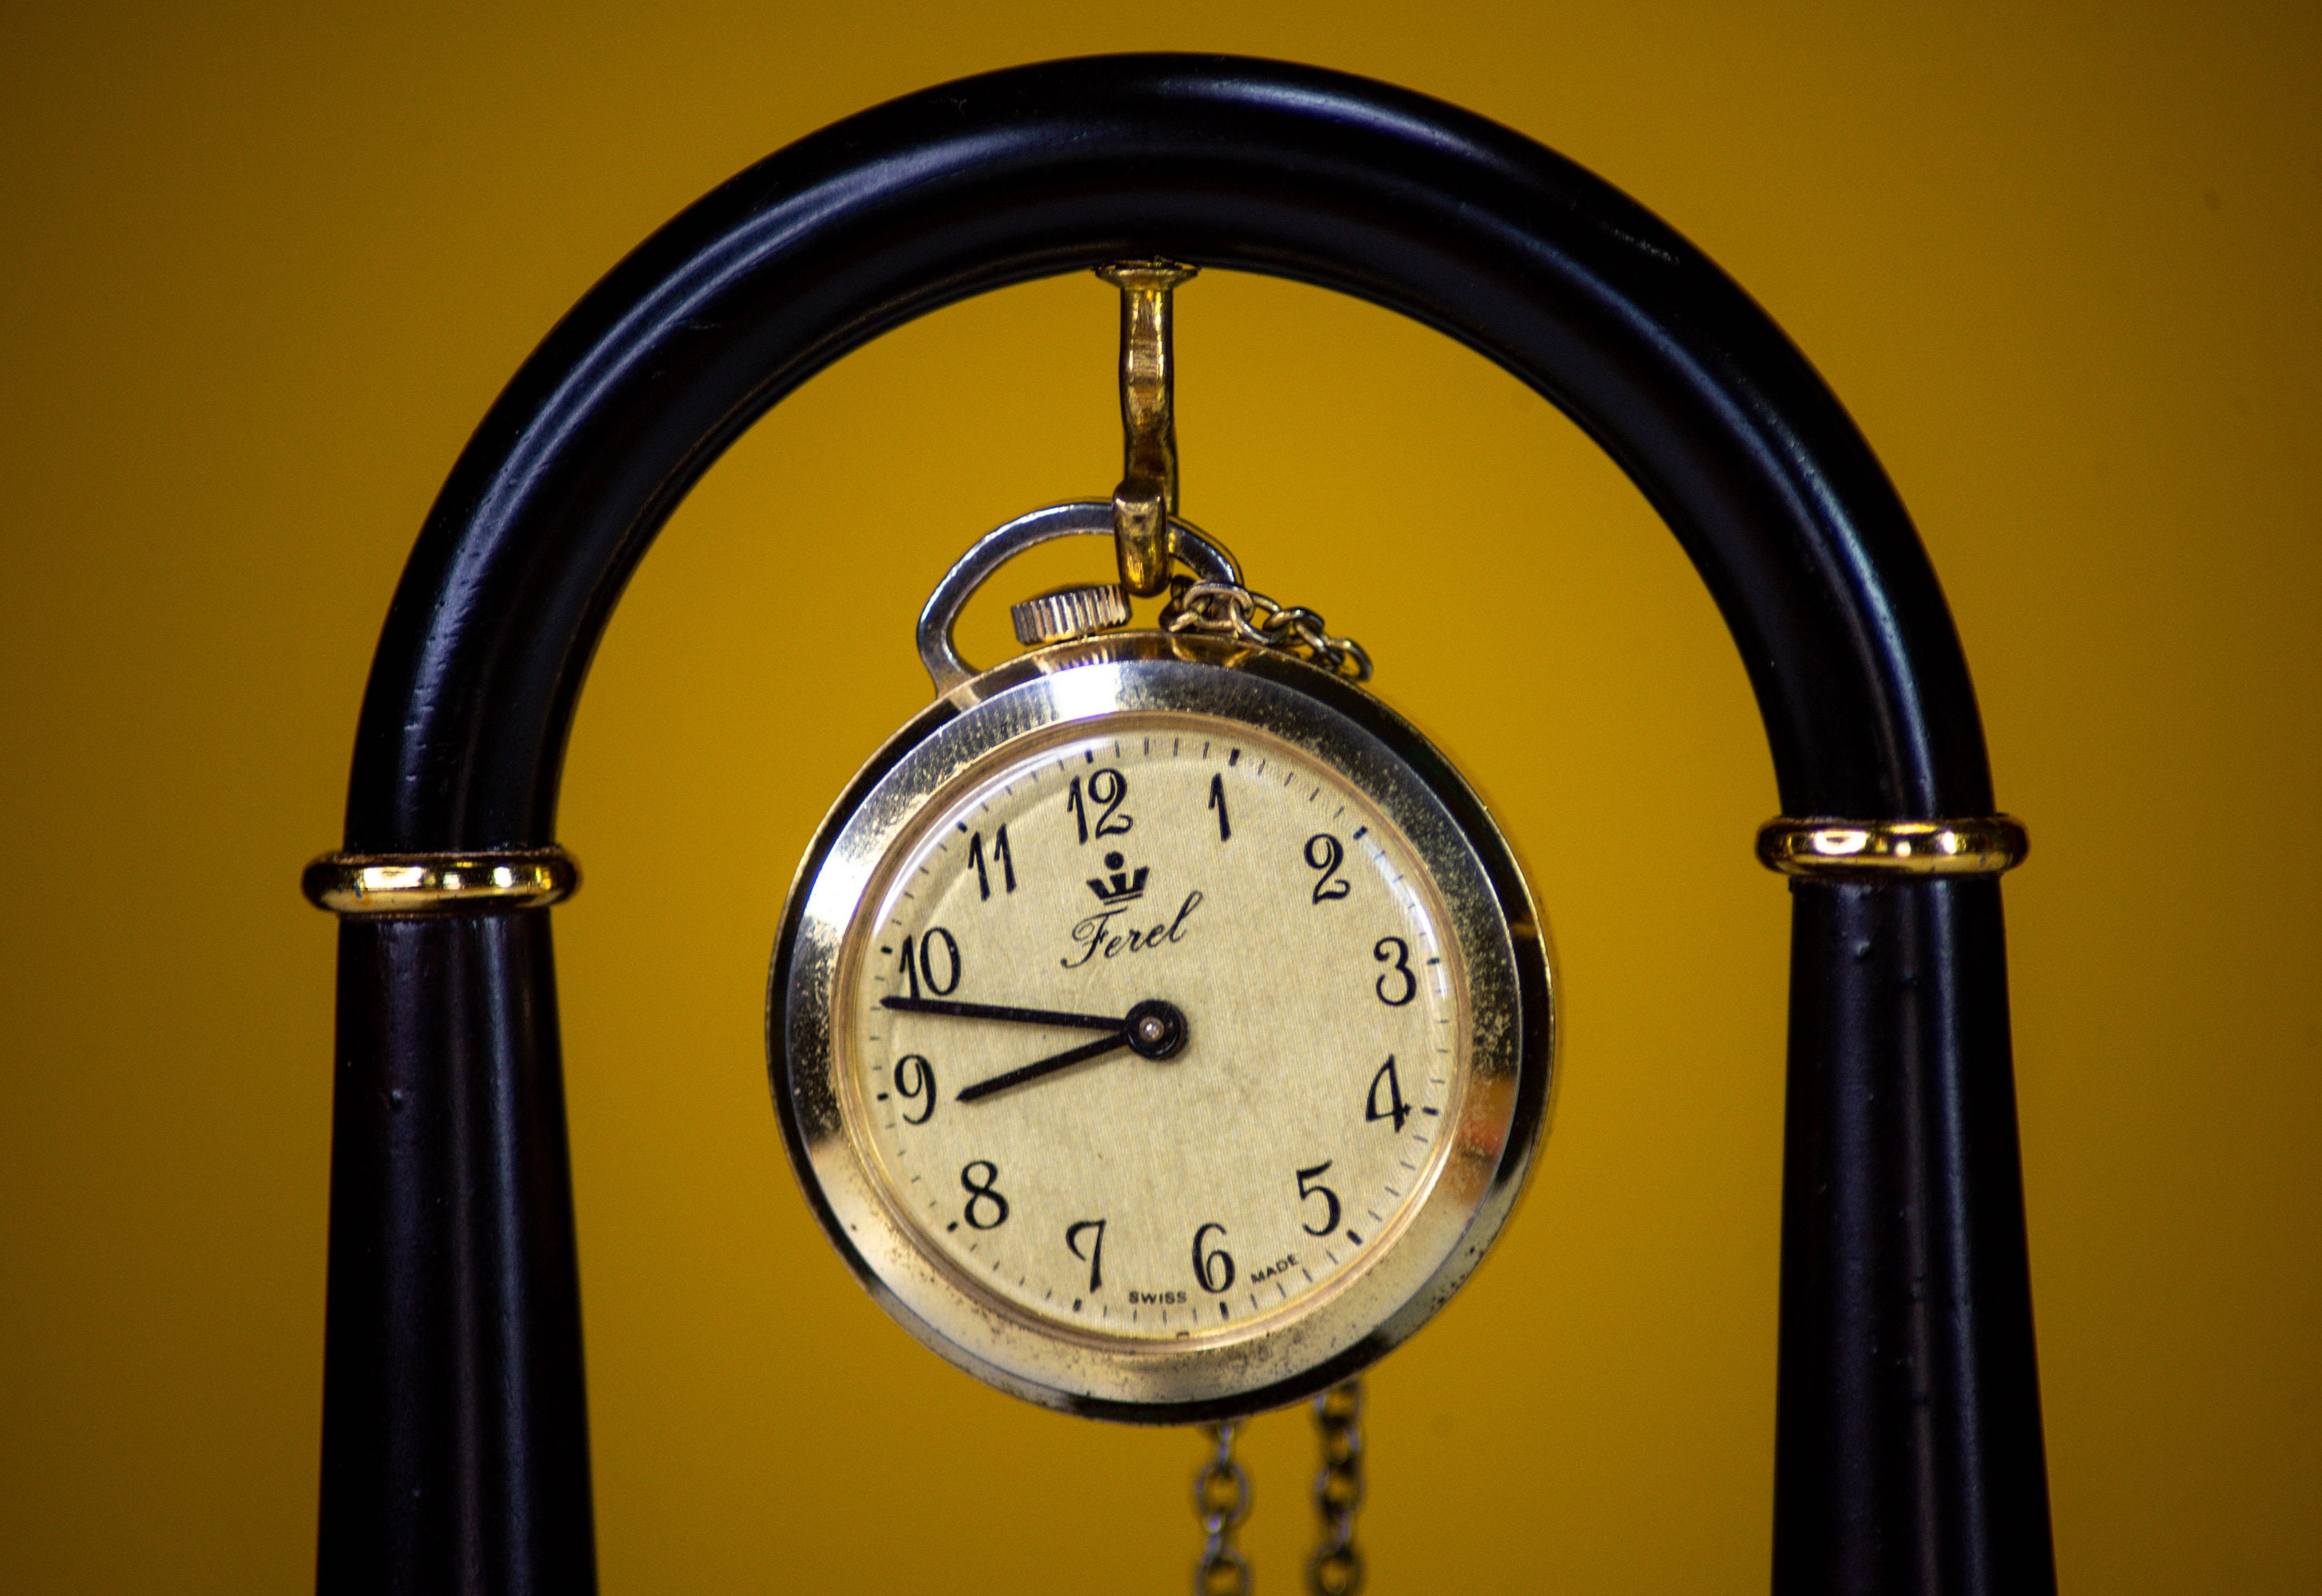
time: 8:47
